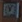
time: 11:04
